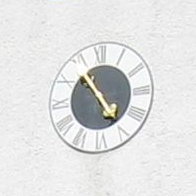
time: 4:53
